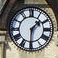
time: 1:30
